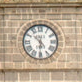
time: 10:30
